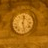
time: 12:27
